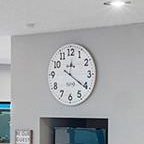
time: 12:20
